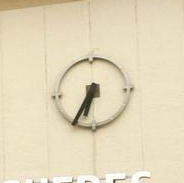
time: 6:34
